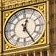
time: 12:24
